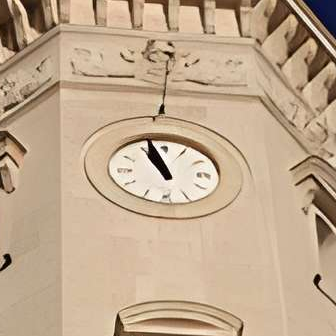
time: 10:57
